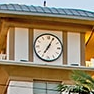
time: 7:04
